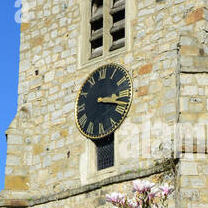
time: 3:17
